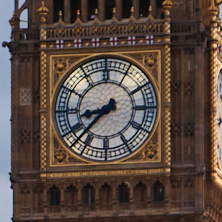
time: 8:37
